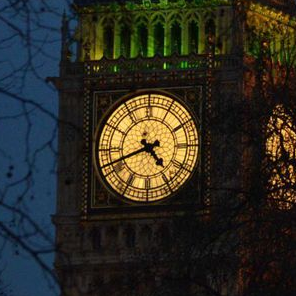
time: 4:41
